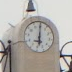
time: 5:59
